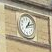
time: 1:11
